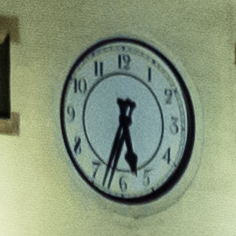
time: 5:33
